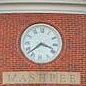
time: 3:37
